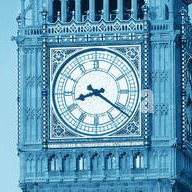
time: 8:21
